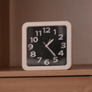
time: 1:23
